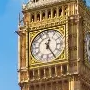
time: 12:24
